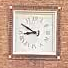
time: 8:50
